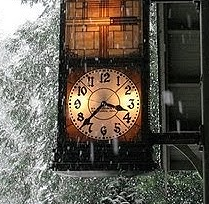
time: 3:37
